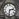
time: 2:31
